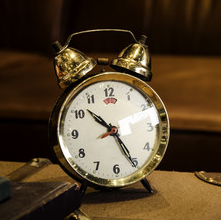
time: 10:25
